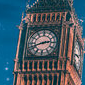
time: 2:41
